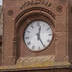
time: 12:25
